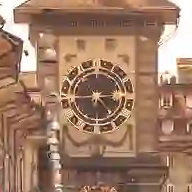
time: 4:44
